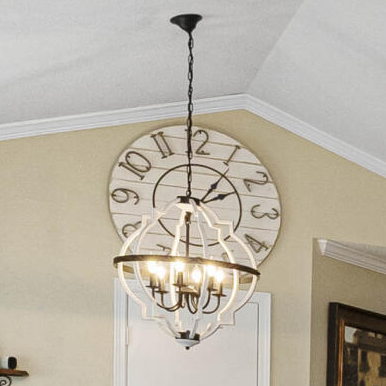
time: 2:06
